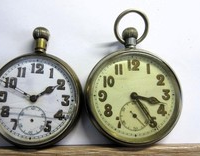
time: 3:24
